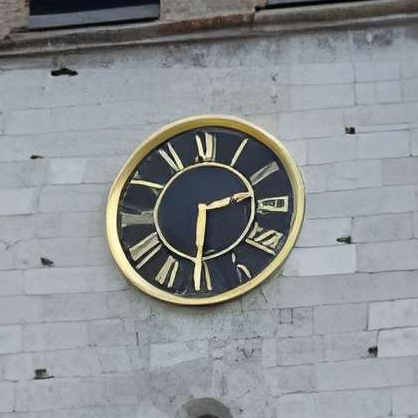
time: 2:30
